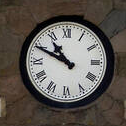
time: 10:49
